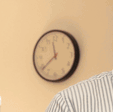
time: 11:38
